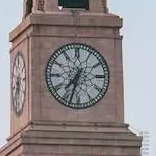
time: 7:32
